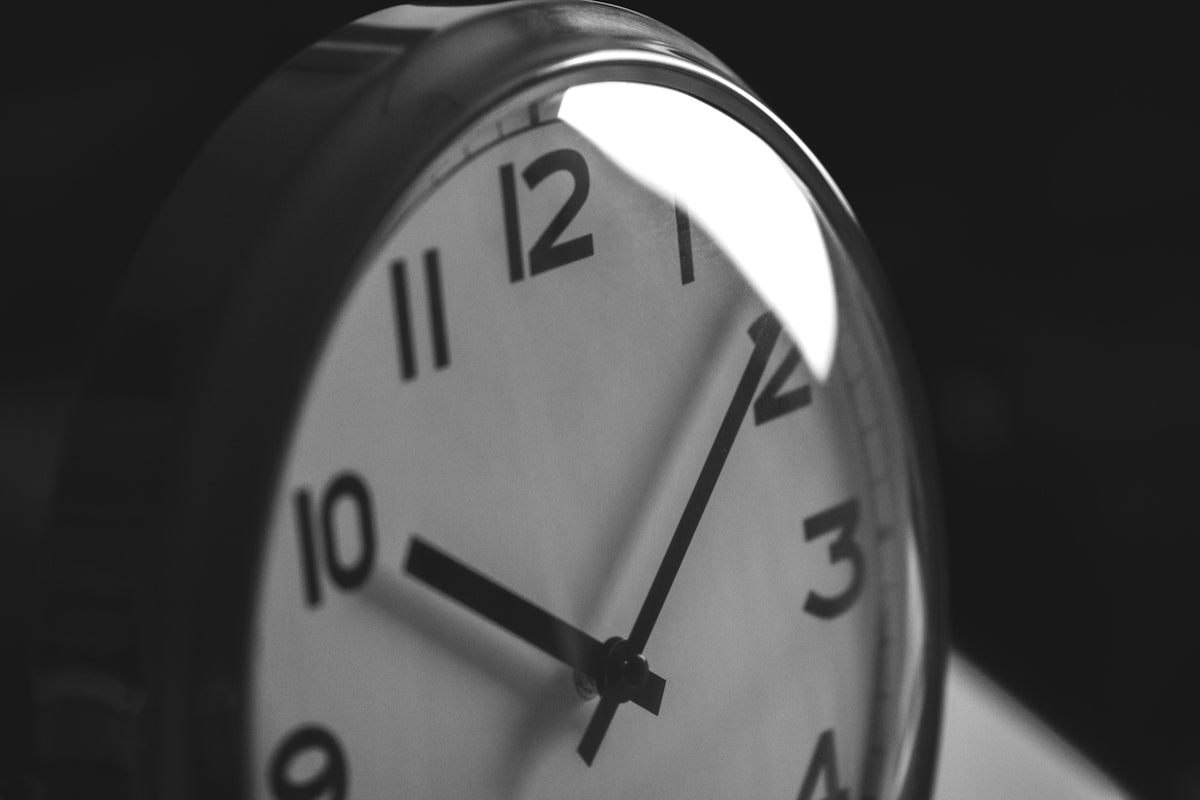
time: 10:07
